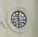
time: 11:28
